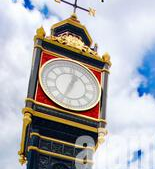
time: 12:33
